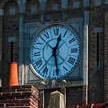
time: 12:28
